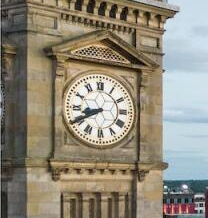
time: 8:40
